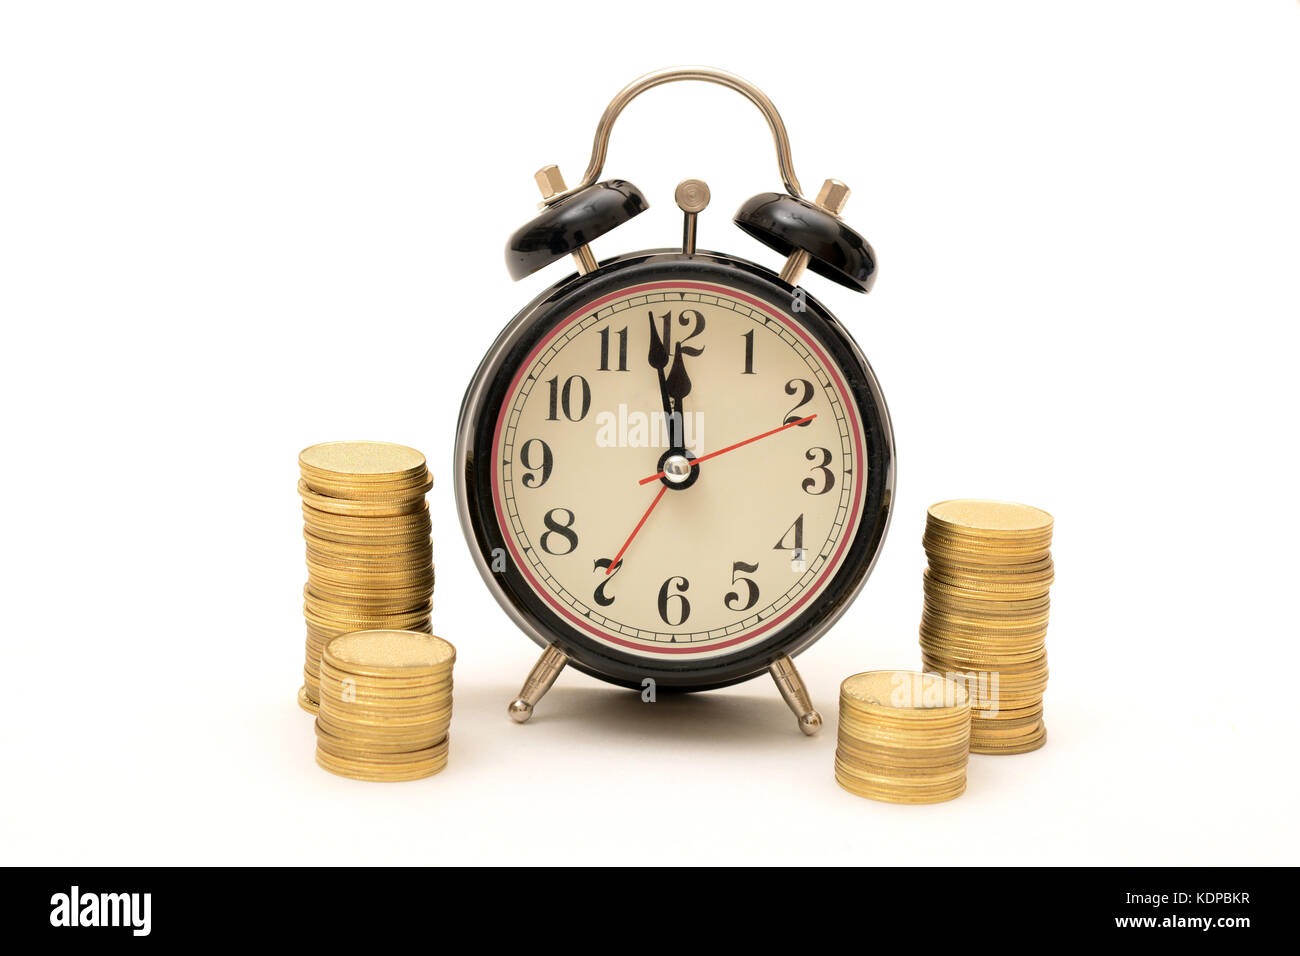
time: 11:58
